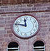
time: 11:47
